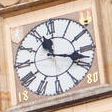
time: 11:17
